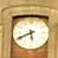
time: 5:40
